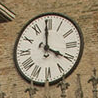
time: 3:59
